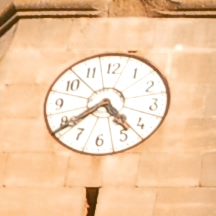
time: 4:38
